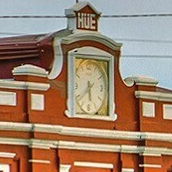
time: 5:38
